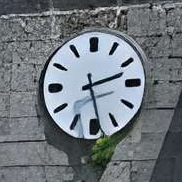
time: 2:28
